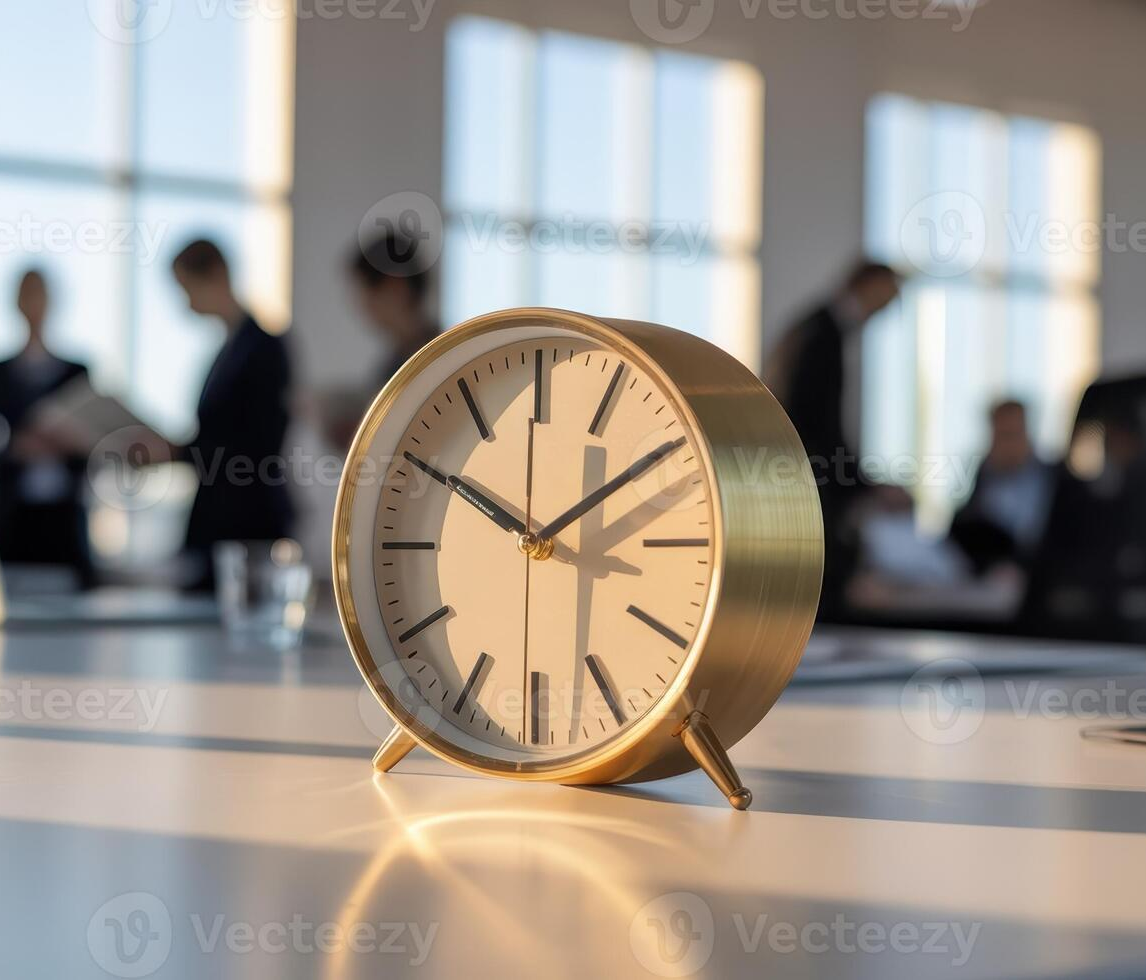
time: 1:50
